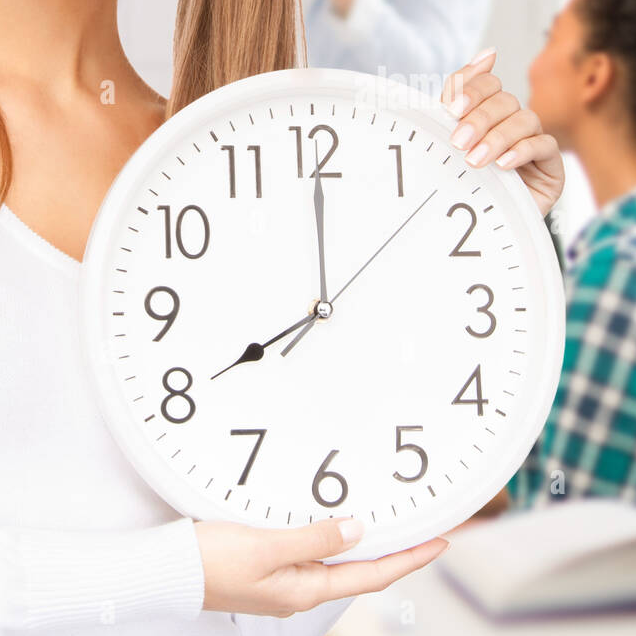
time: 8:00
